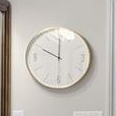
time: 10:00
